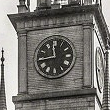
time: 11:44
